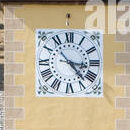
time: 3:22
